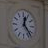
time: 12:23
